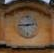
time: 2:45
